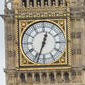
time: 12:33
